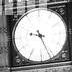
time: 9:26
